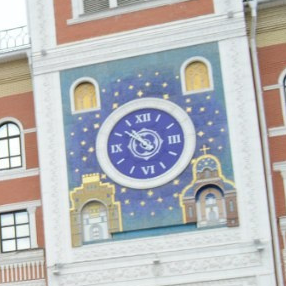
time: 10:51
